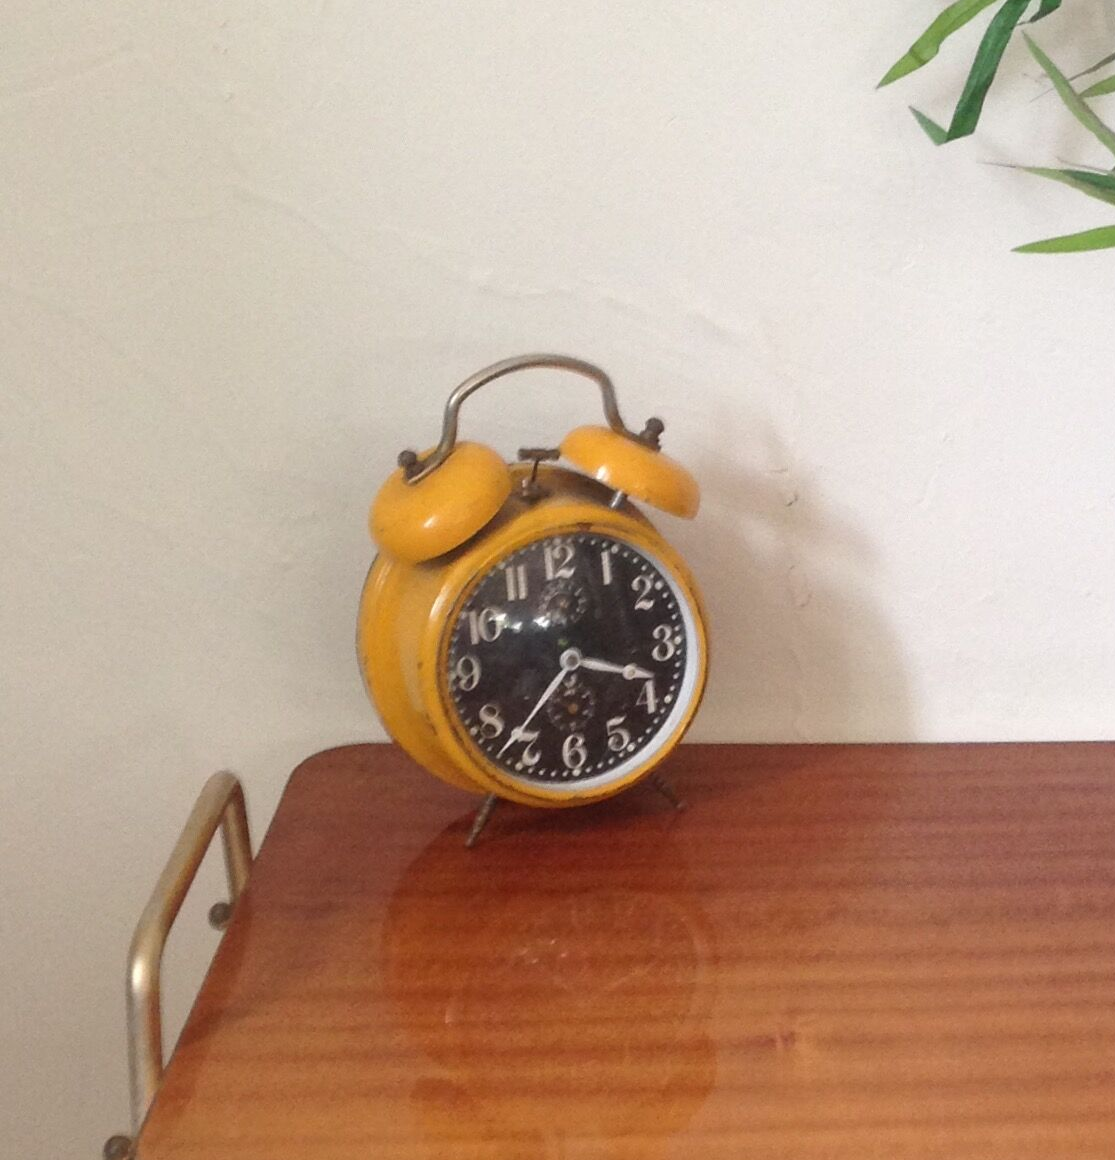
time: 3:37
